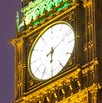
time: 6:11
